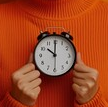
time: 10:00
